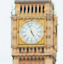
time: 4:57
